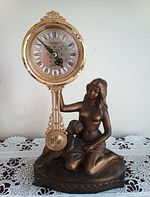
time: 4:52
